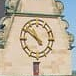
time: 10:50
